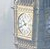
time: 10:41
